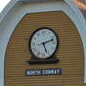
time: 5:12
